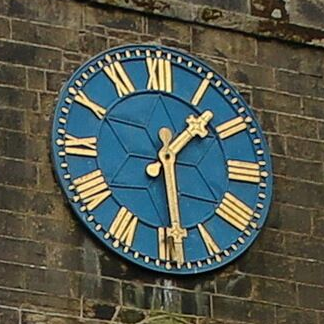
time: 1:28
